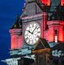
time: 10:07
